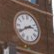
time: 2:39
